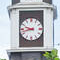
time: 9:42
